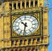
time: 10:32
